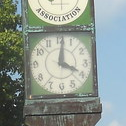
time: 4:01
